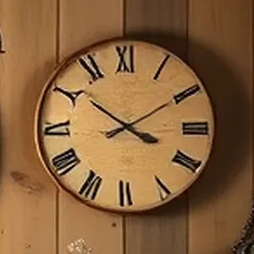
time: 3:51
